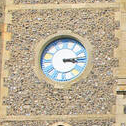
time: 3:13
